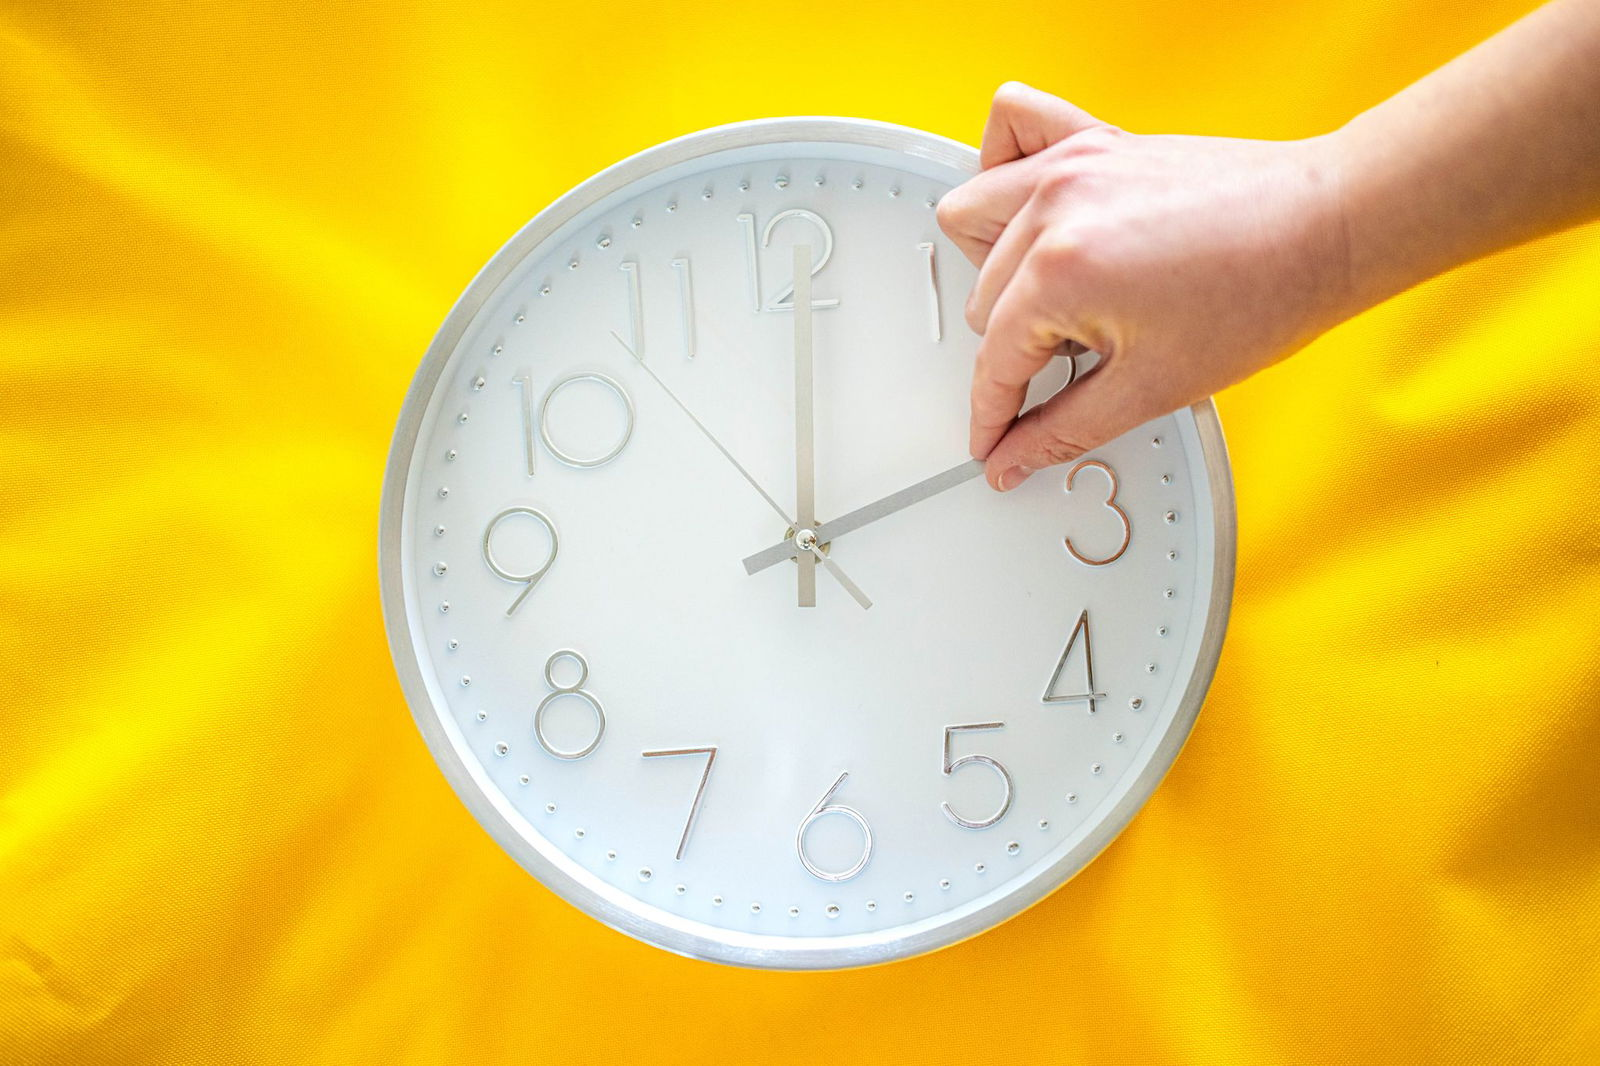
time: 12:11
